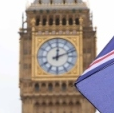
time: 12:11
